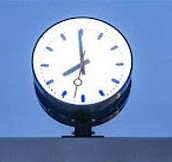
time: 7:59
